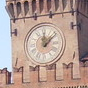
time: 12:07
